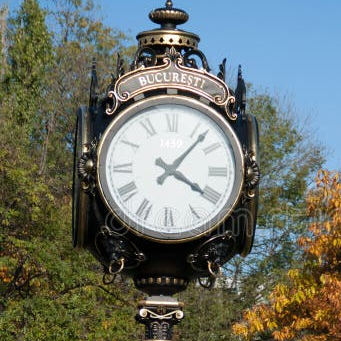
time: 4:07
